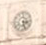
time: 3:27
